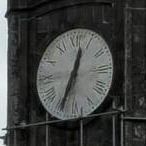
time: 12:34
